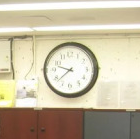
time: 9:38
